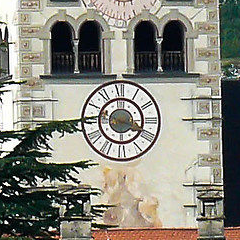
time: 3:18
